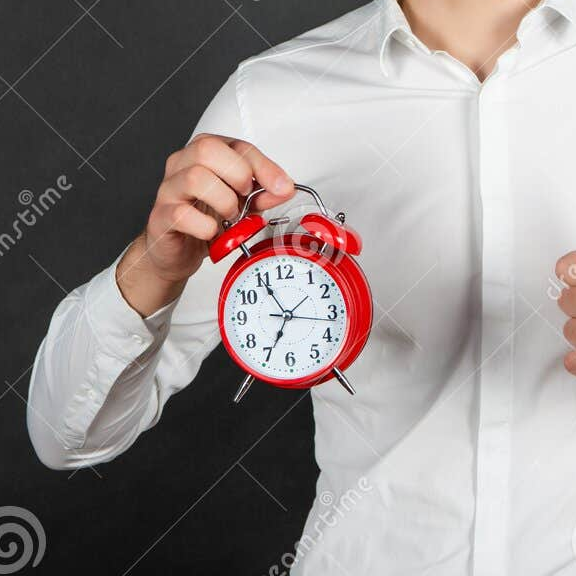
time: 6:54
